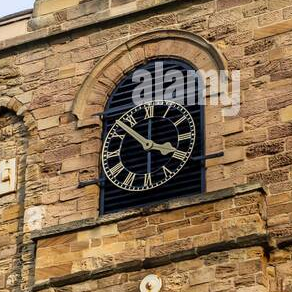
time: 3:52
